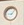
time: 9:07
